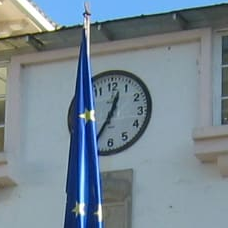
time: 12:34
